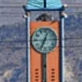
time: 12:34
